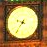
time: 9:36
